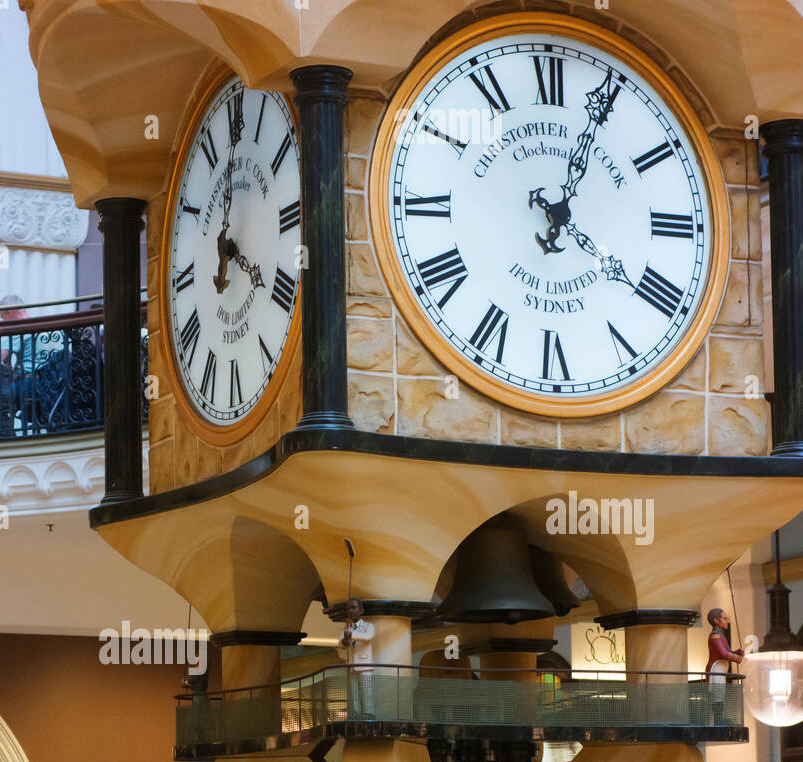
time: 4:03
